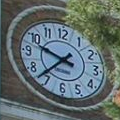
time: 9:37
